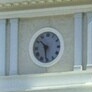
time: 10:30
